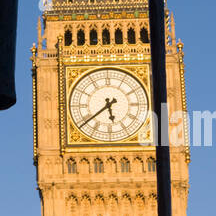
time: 5:38
